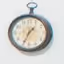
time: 1:34
